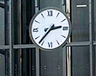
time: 2:36
